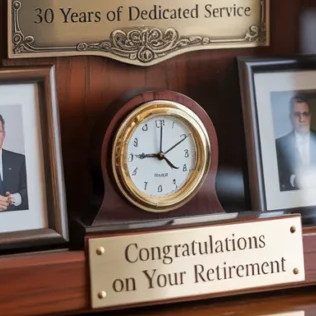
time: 9:01
